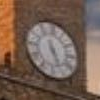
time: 5:26
